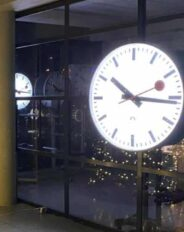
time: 10:15
